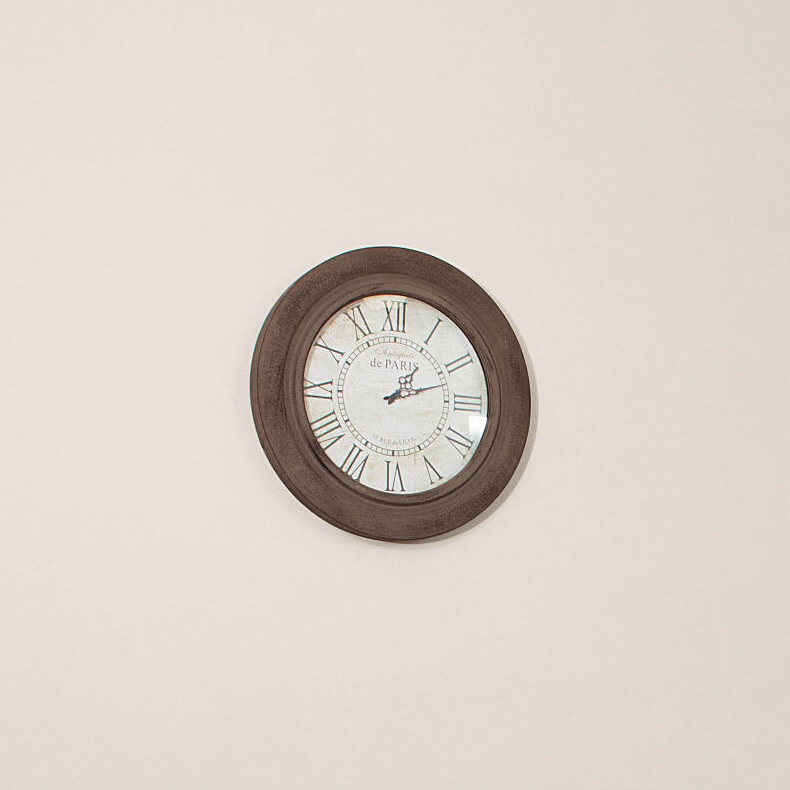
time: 1:11
